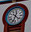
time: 4:33
